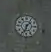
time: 1:33
